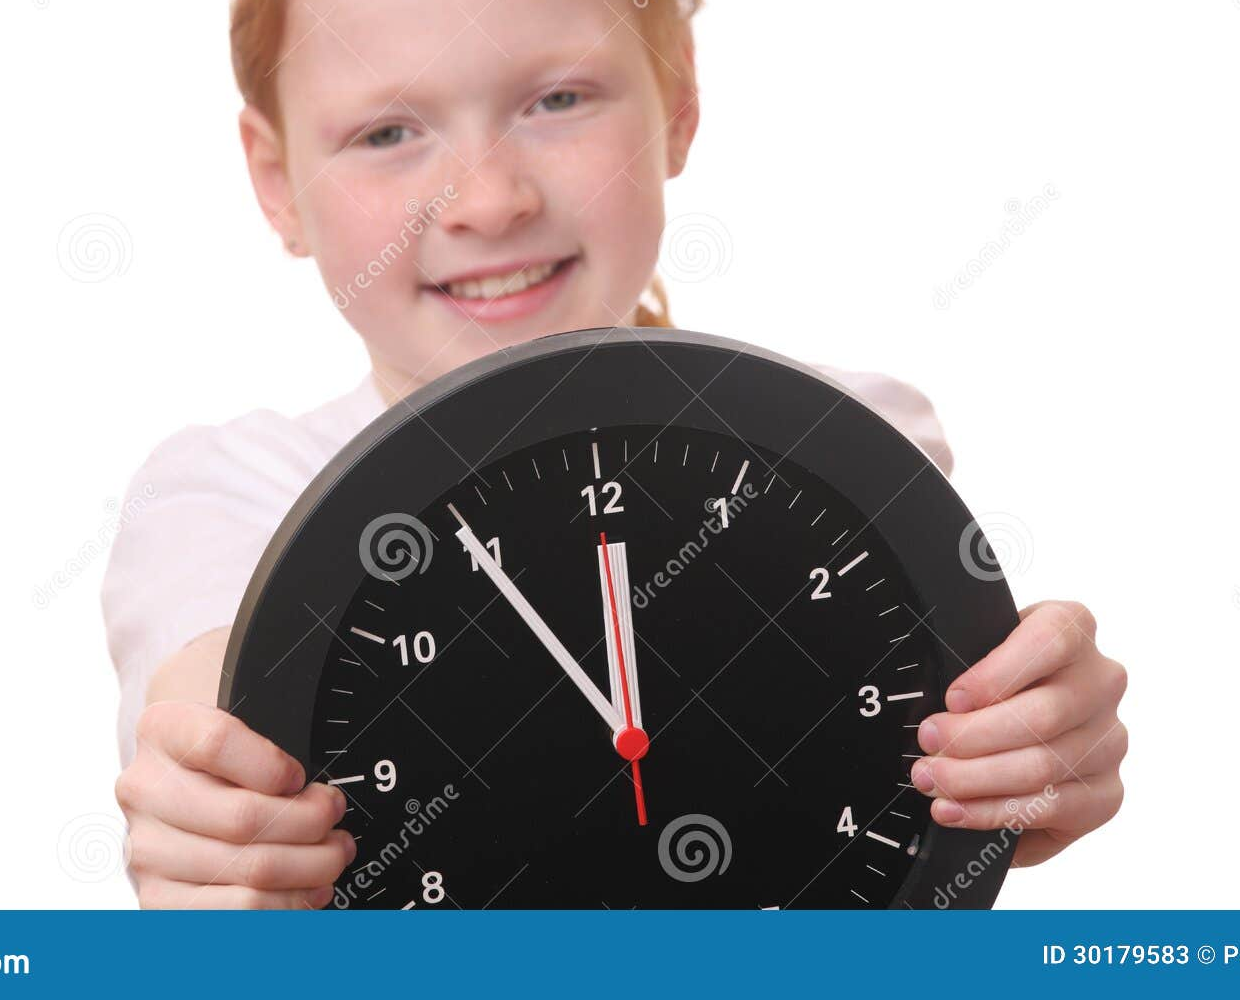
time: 11:54
